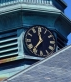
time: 11:36
